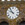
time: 9:53
